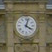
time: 4:03
